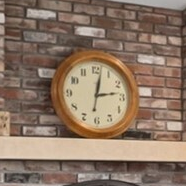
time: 12:13
